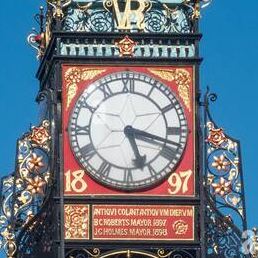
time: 5:17
